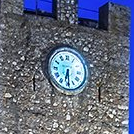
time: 6:29
